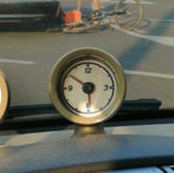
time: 5:50
